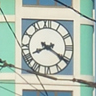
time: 8:20
